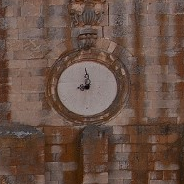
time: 7:59
